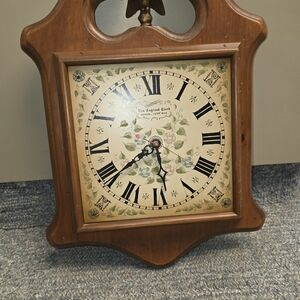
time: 5:38
